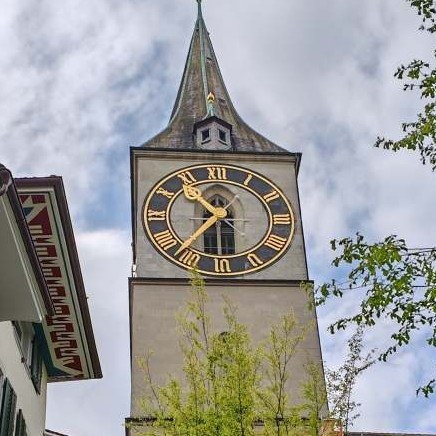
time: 10:36
